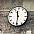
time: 11:30
